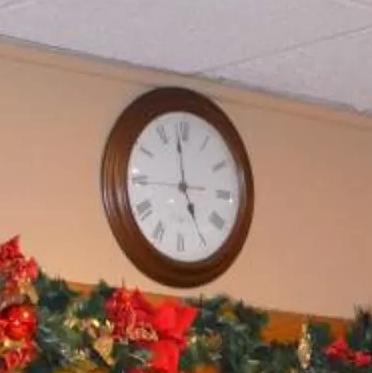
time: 4:58
